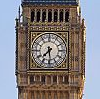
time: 7:29
